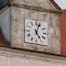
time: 5:03
